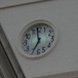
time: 6:58
